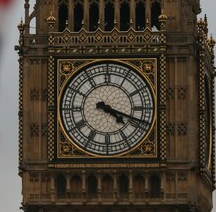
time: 4:18
